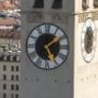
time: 5:08
